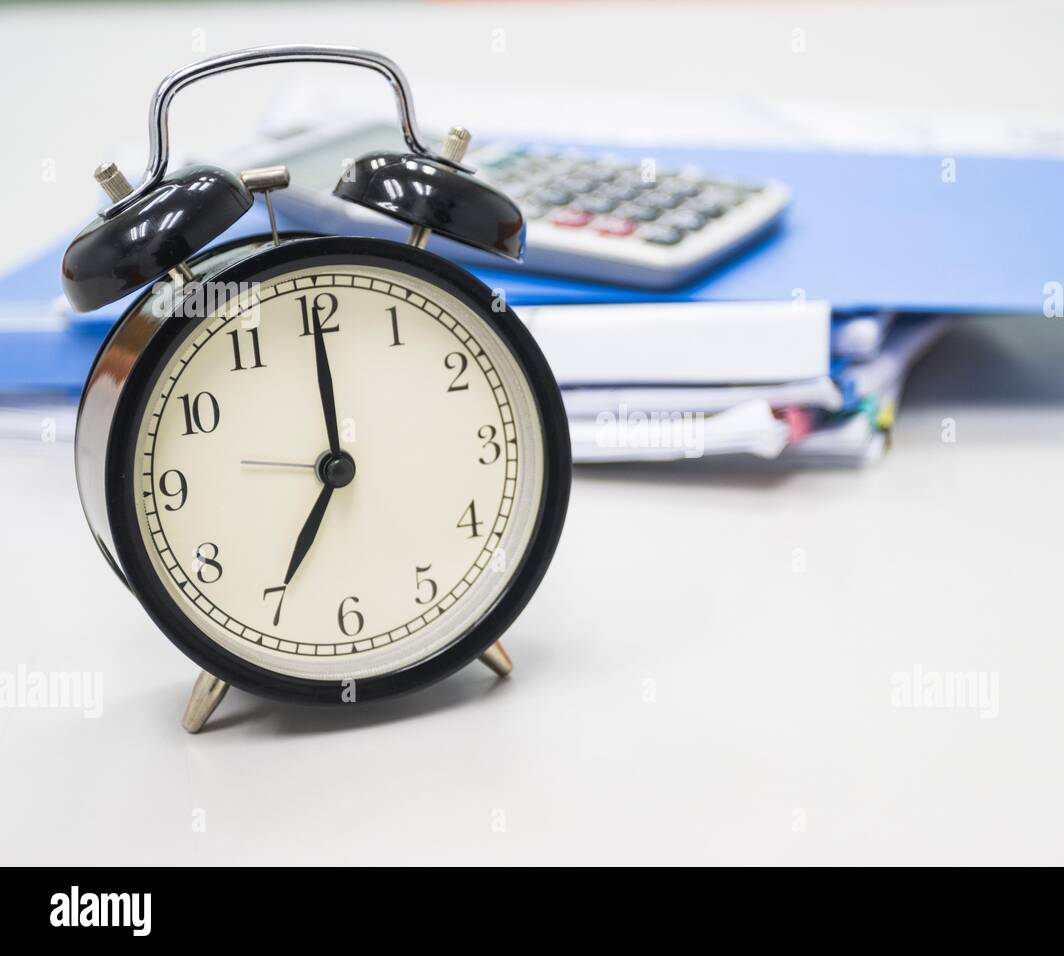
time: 7:00
